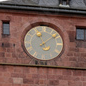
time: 11:08
